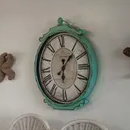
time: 6:06
